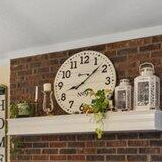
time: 8:08
